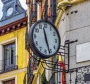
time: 11:26
